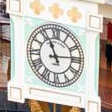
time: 11:13
